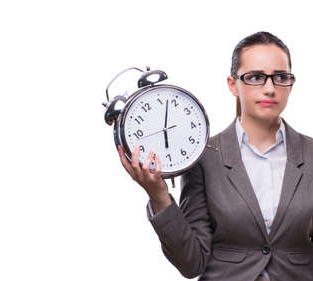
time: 6:02
